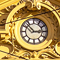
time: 2:53
